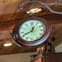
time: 12:40
